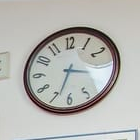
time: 3:33
